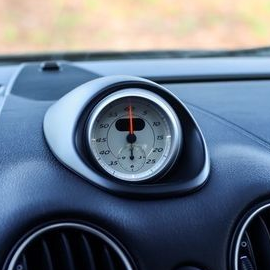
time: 6:00
